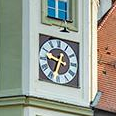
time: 9:33
